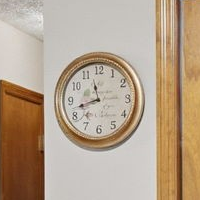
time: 11:42
